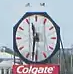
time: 11:31
